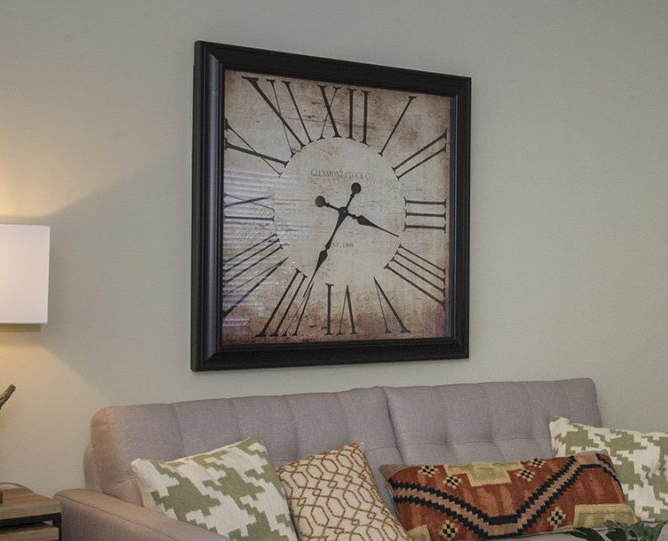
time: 3:34
